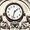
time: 1:32
